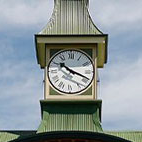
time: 10:18
